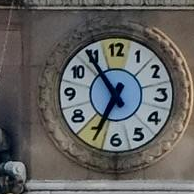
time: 6:54
